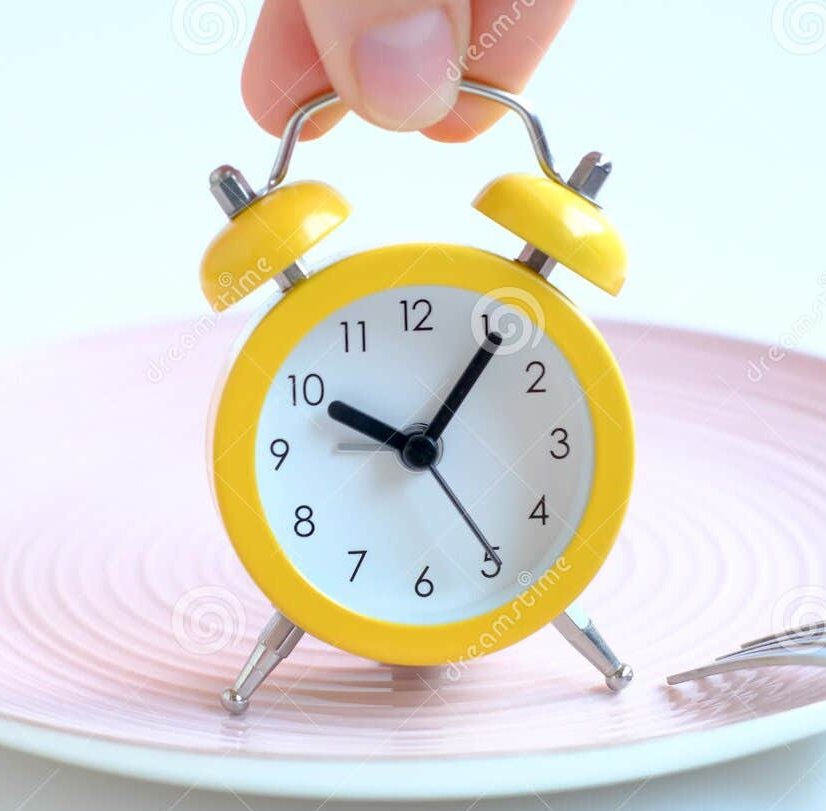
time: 10:06
